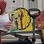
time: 12:28
